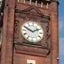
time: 1:49
